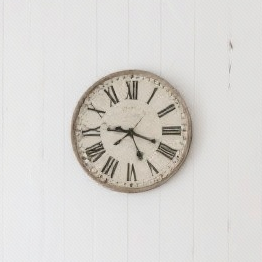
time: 9:18
